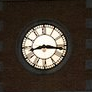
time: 8:16
